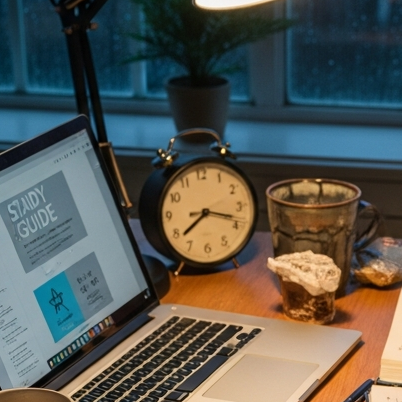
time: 3:38
